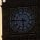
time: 5:45
